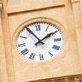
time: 1:54
